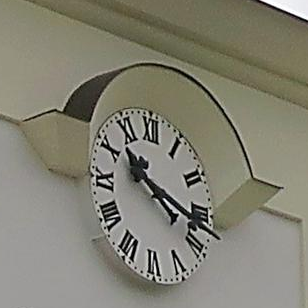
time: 10:17
